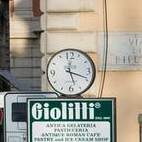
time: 5:18
